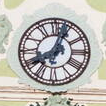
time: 8:03
